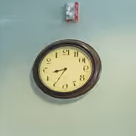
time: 8:35
